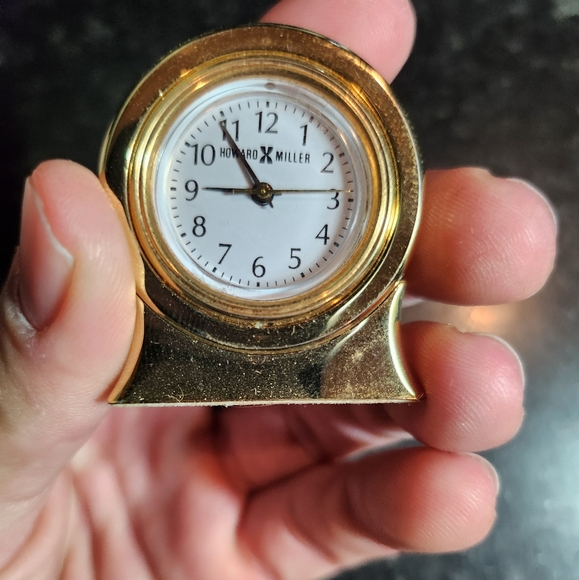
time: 8:54
